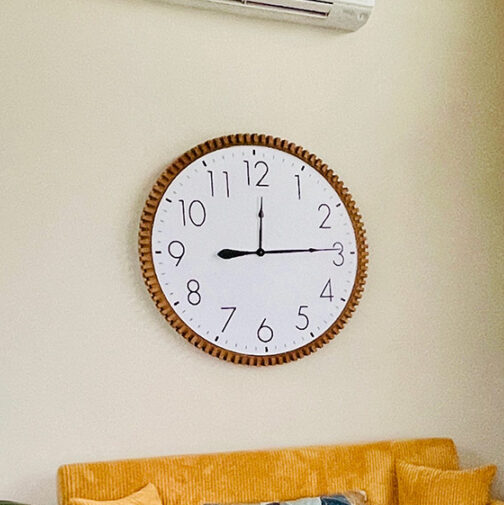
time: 12:14
